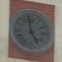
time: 4:58
